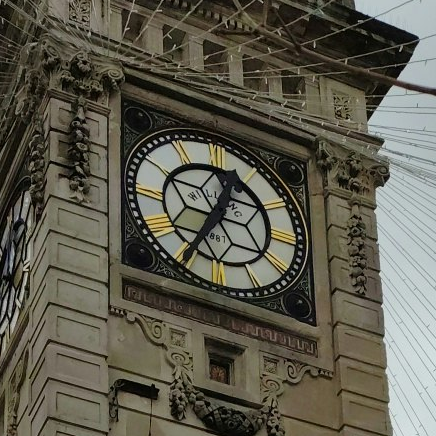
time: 12:34
